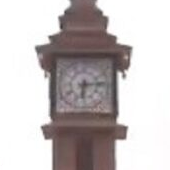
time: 6:13
